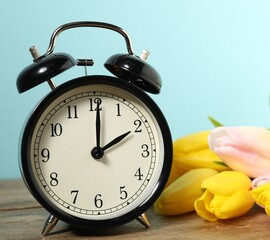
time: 2:00
